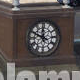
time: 11:49
